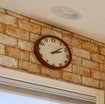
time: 2:08
